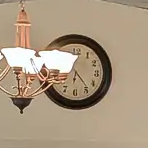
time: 6:23
